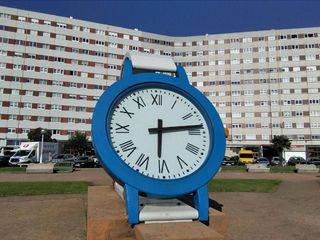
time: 6:13
